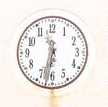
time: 11:32
